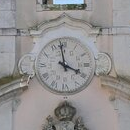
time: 3:58
